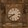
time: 8:40
